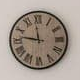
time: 11:46
